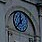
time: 11:37
